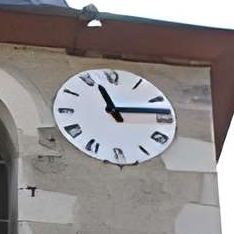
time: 11:13
